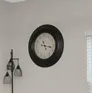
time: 11:17
